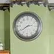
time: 2:39
